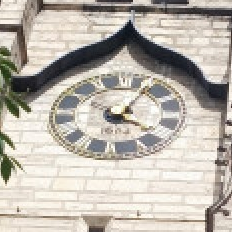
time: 4:04
